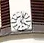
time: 4:04
